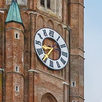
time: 8:36
